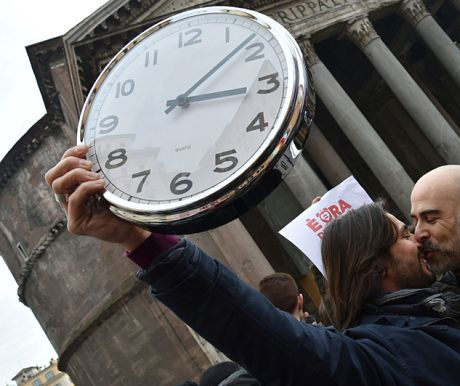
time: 3:08
